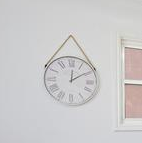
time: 12:09
